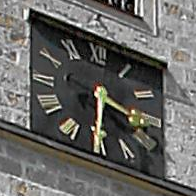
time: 3:30
